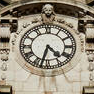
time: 4:32
